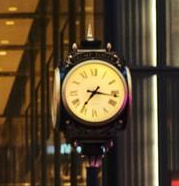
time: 7:16
